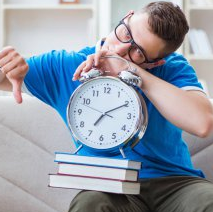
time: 7:10
